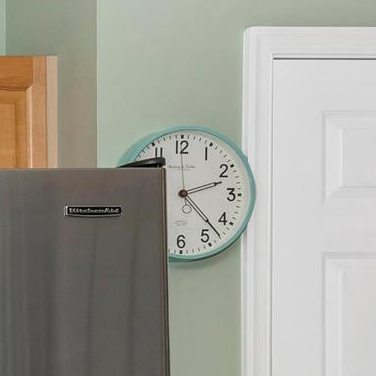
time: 2:22
